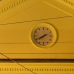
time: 7:40
